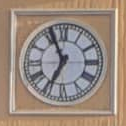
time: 6:55
